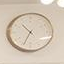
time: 10:34
